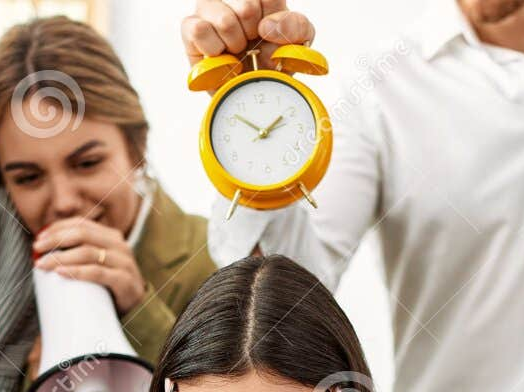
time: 1:51
